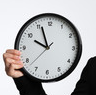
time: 9:56
